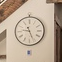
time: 9:26
